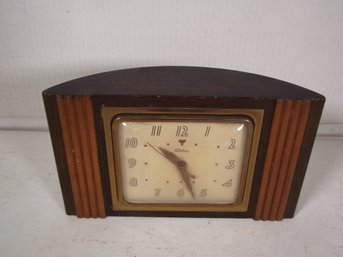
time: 10:26
